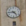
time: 4:44
